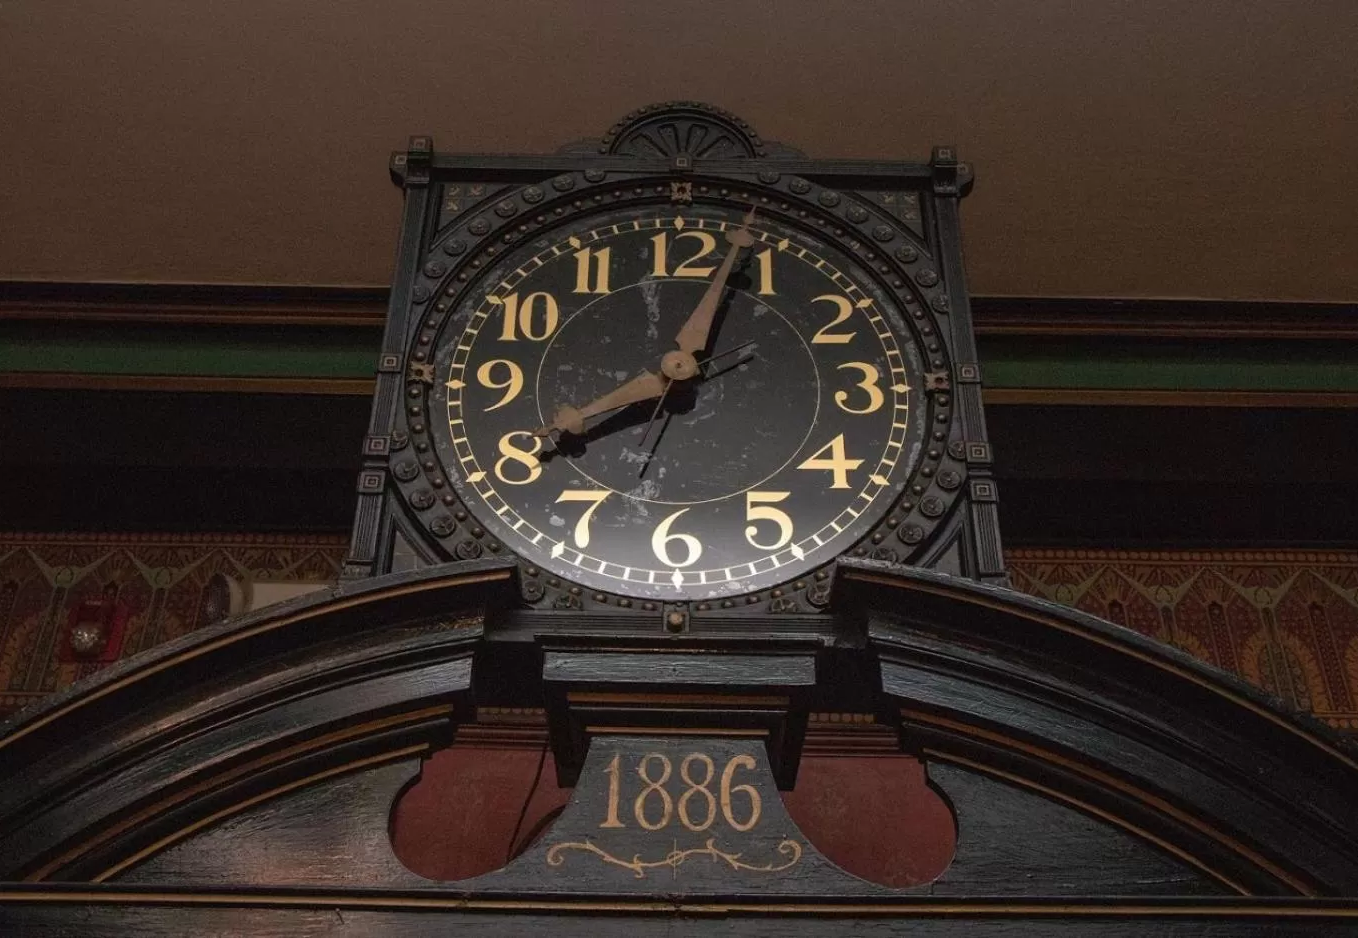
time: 8:03
